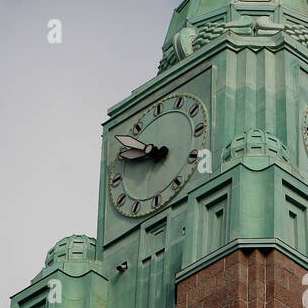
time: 9:51
